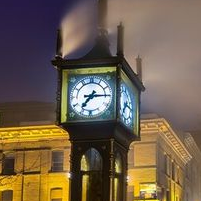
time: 7:15
